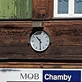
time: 10:29
